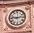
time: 2:46
